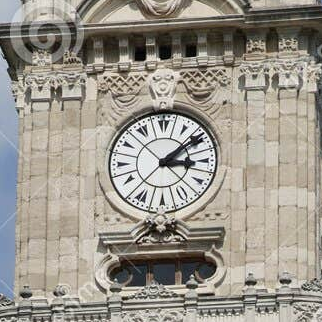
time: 3:09
